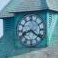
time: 8:21
